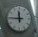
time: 11:45
